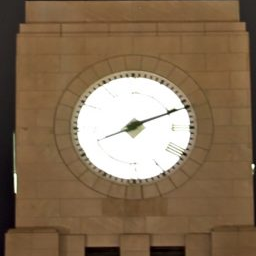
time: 2:11
